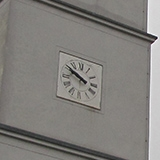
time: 9:50
